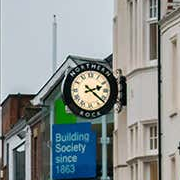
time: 2:21
